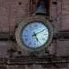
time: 5:10
